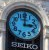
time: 3:00
